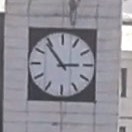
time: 2:53
